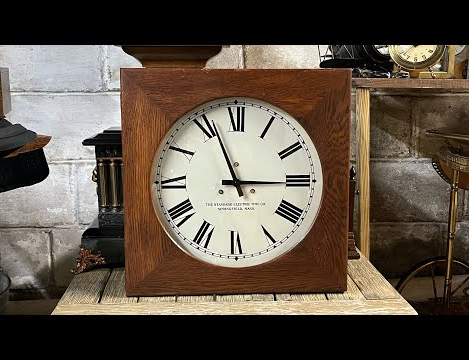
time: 2:56
